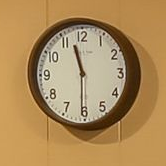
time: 11:30
